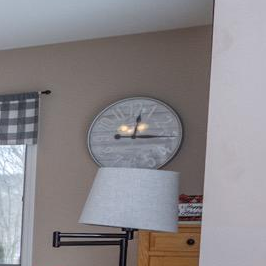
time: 12:15
